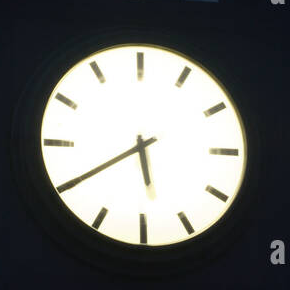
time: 5:40
